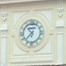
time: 10:37
